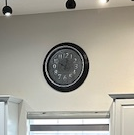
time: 10:02
